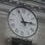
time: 2:56
